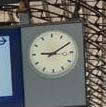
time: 9:10
